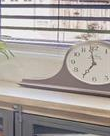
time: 6:58
